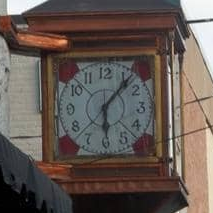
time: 6:06
